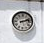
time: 2:12
